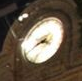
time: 3:40
